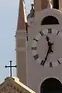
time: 11:34
